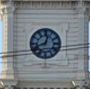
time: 12:41
